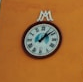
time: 1:08
